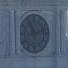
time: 11:12
